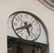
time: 5:40
